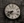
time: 8:37
